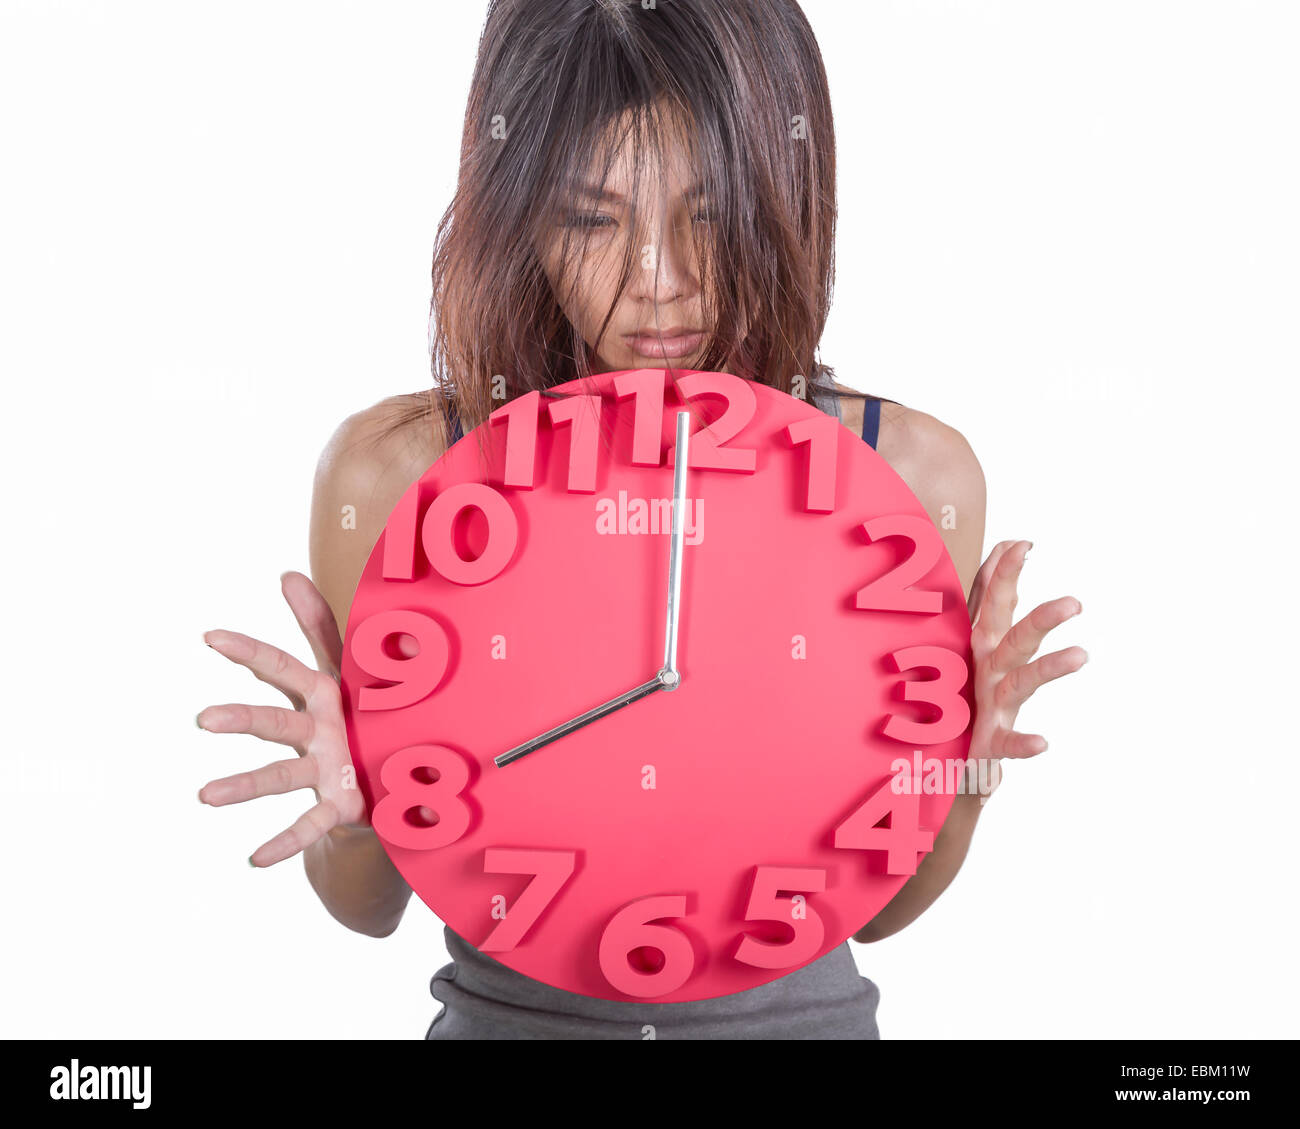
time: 7:59
